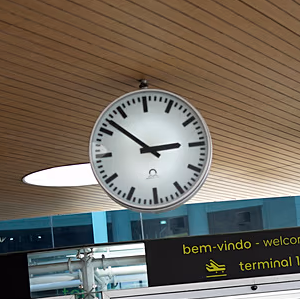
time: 2:52
